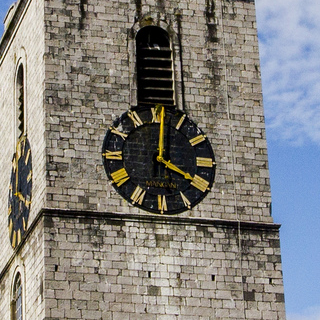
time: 4:01
